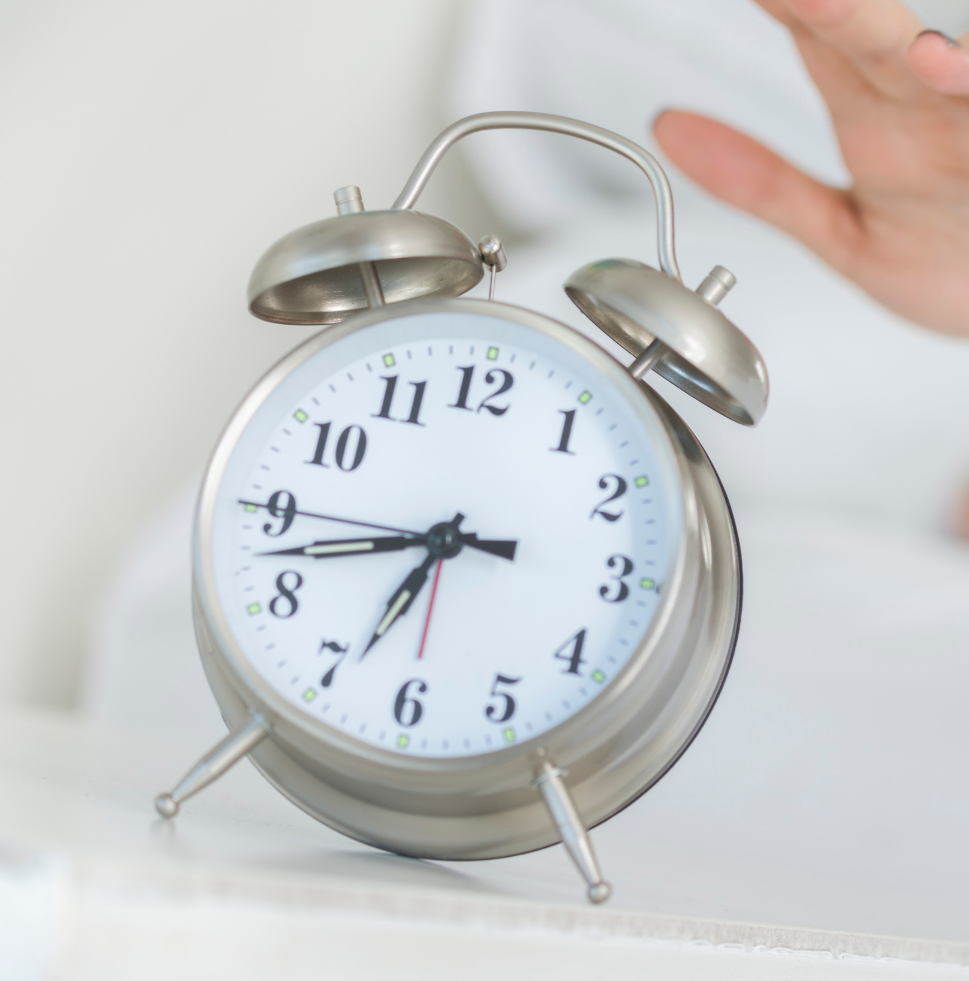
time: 6:42
